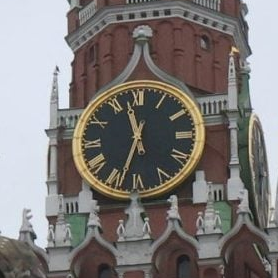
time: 11:33
